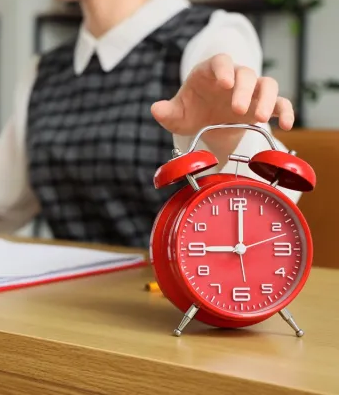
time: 9:00
